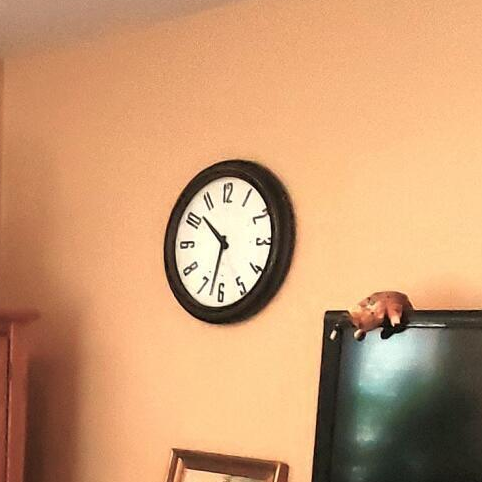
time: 10:32
